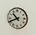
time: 10:41
